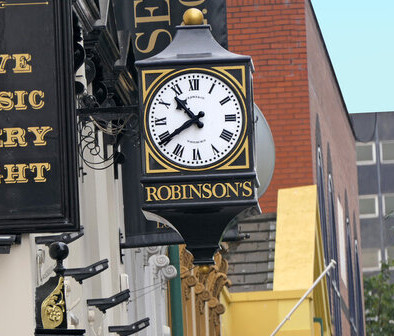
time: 10:39
